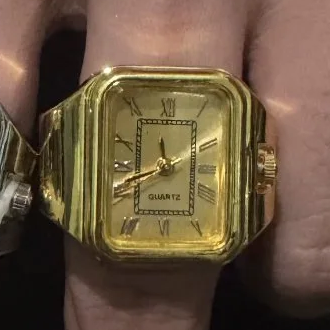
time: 11:41
